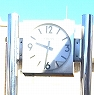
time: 9:31
